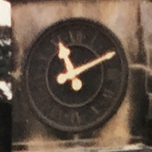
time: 11:10
